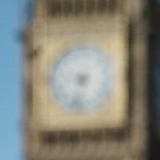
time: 6:32
